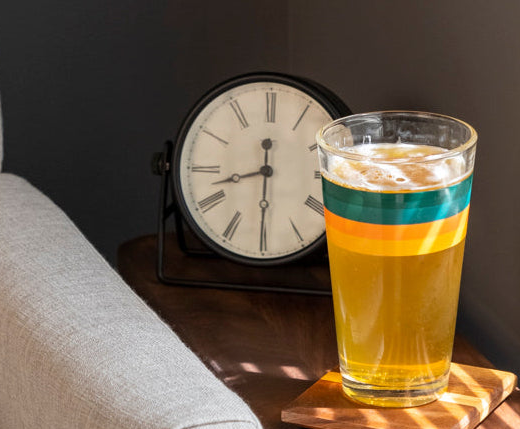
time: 8:29
